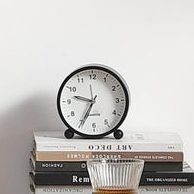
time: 9:34
